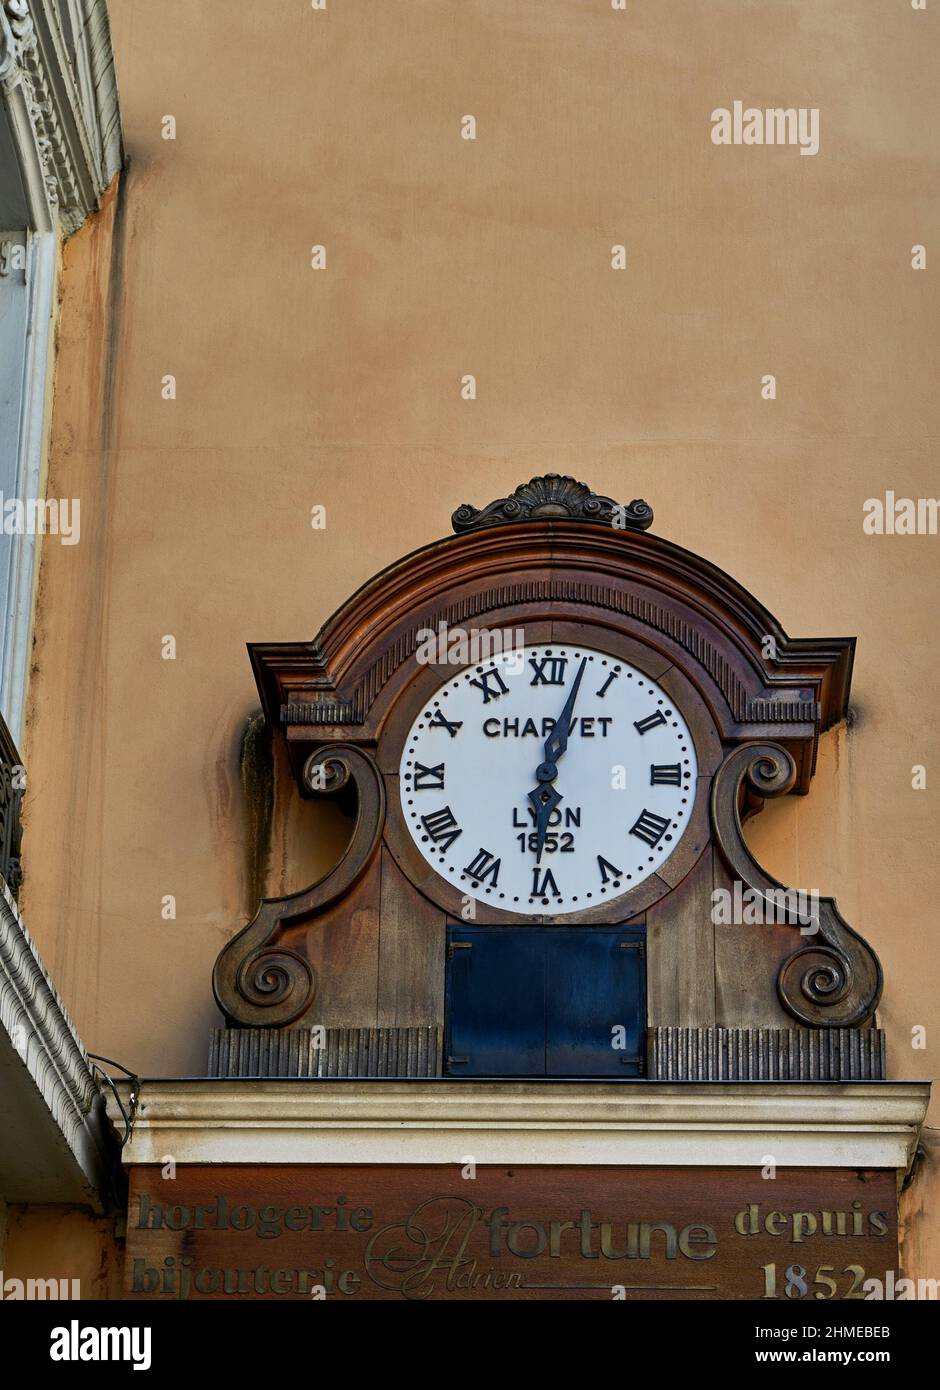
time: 6:02
